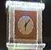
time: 6:06
